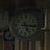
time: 5:15
